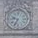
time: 9:34
